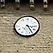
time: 3:24
